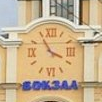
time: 3:54
